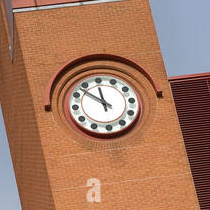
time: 11:52
